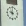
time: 10:00
